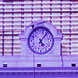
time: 5:06
